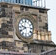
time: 9:40
